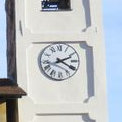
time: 2:20
